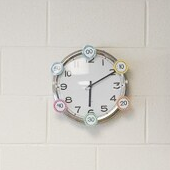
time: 6:10
